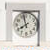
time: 7:57
